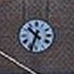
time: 10:33
